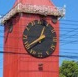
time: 12:38
